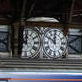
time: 11:50
